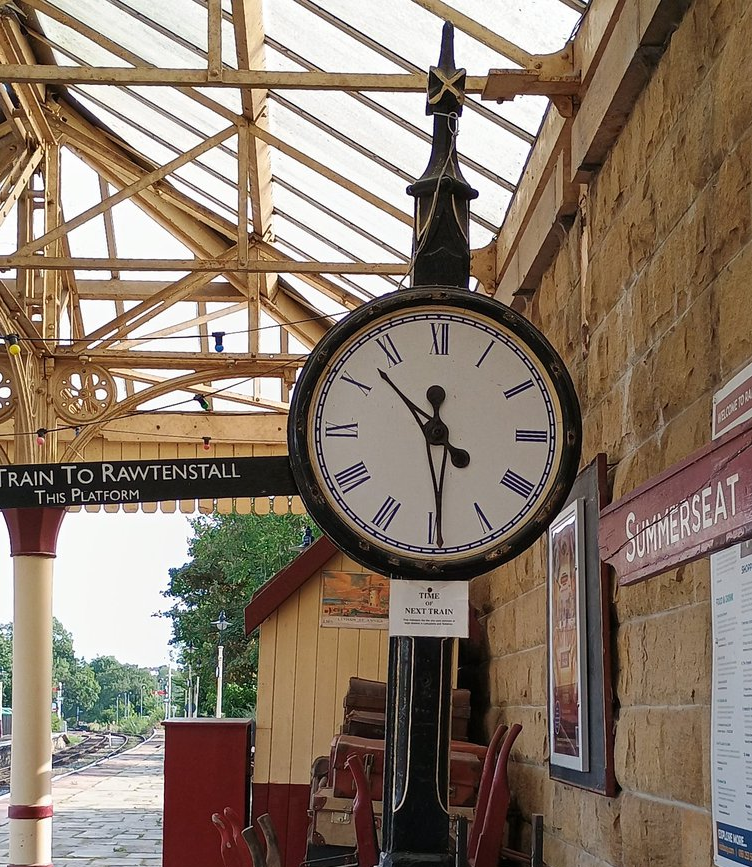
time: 11:52
